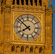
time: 7:51
